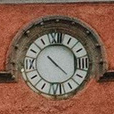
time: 10:22
